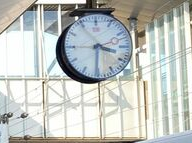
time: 3:30
